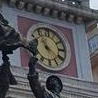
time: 11:21
